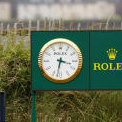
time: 3:32
